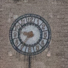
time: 9:35
